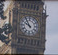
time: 9:54
